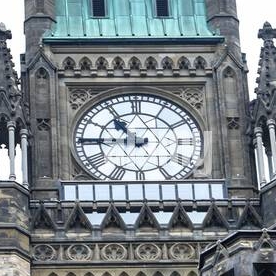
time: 10:45
